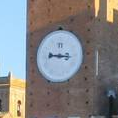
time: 9:16
